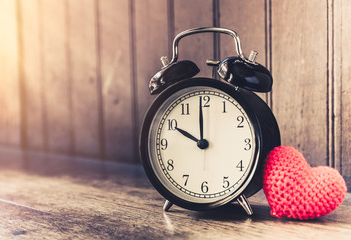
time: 9:59
